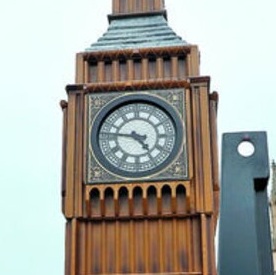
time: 4:46
